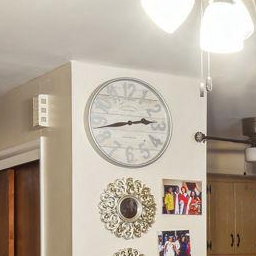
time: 2:43
